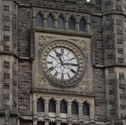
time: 11:14
